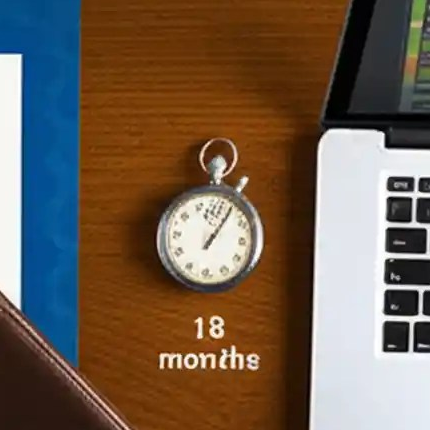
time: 1:05
